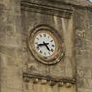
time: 4:42
